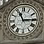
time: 11:14
